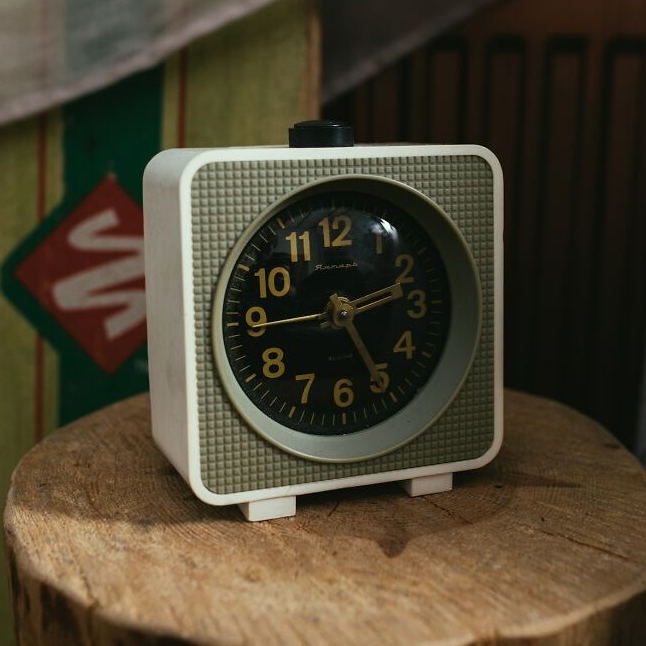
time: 2:25
